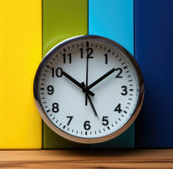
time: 10:08
